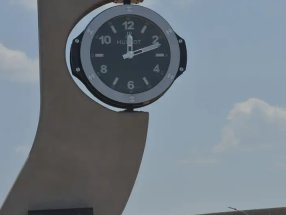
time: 12:11
